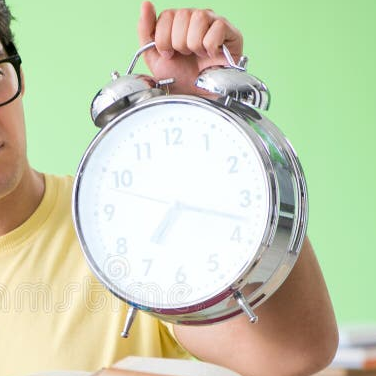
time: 7:17
